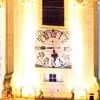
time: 5:44
